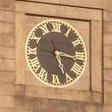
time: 5:16
